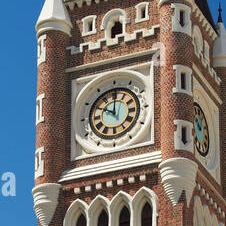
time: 10:00
